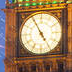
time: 4:55
